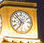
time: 6:52
